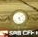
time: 5:08
